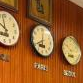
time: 8:01
